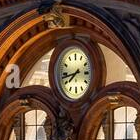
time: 7:43
